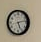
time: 5:13
